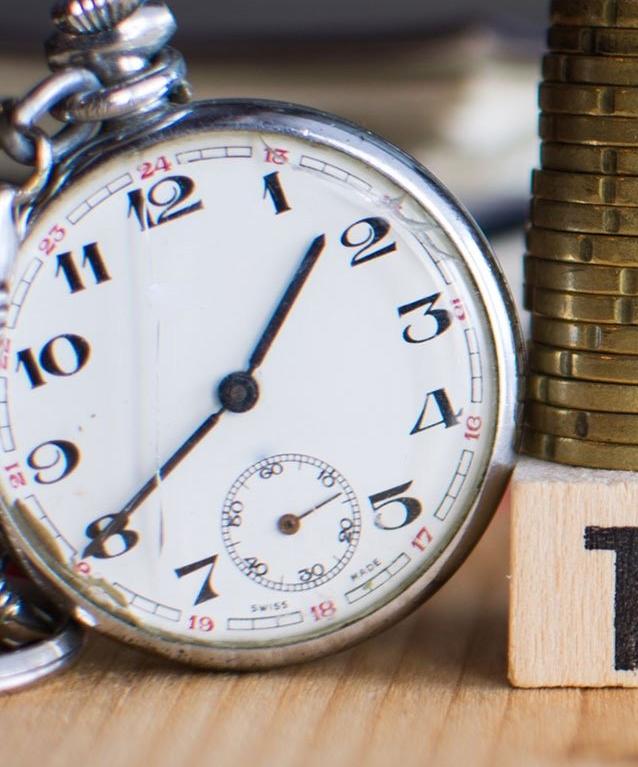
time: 1:39
